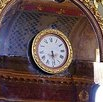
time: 5:29
